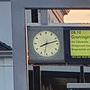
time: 8:12
